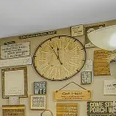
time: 11:54
